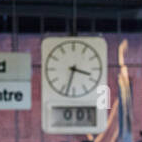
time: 3:32
